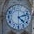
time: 4:12
